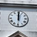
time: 12:00
